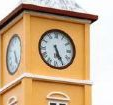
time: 5:25
